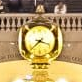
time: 3:38
